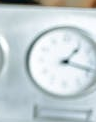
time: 1:18
